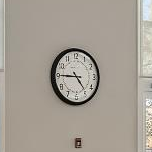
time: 4:45
